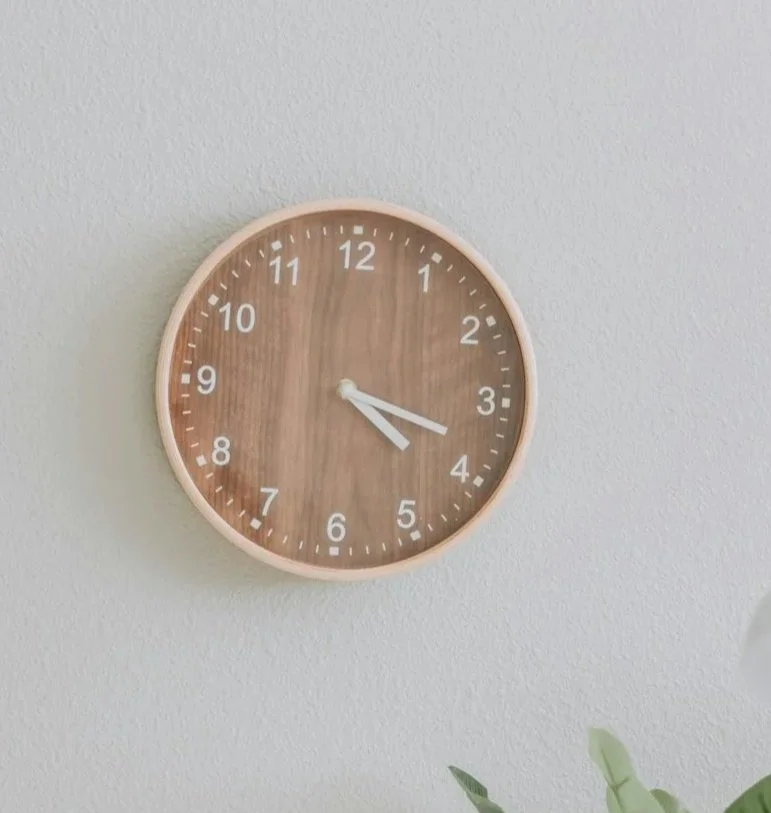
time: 4:18
